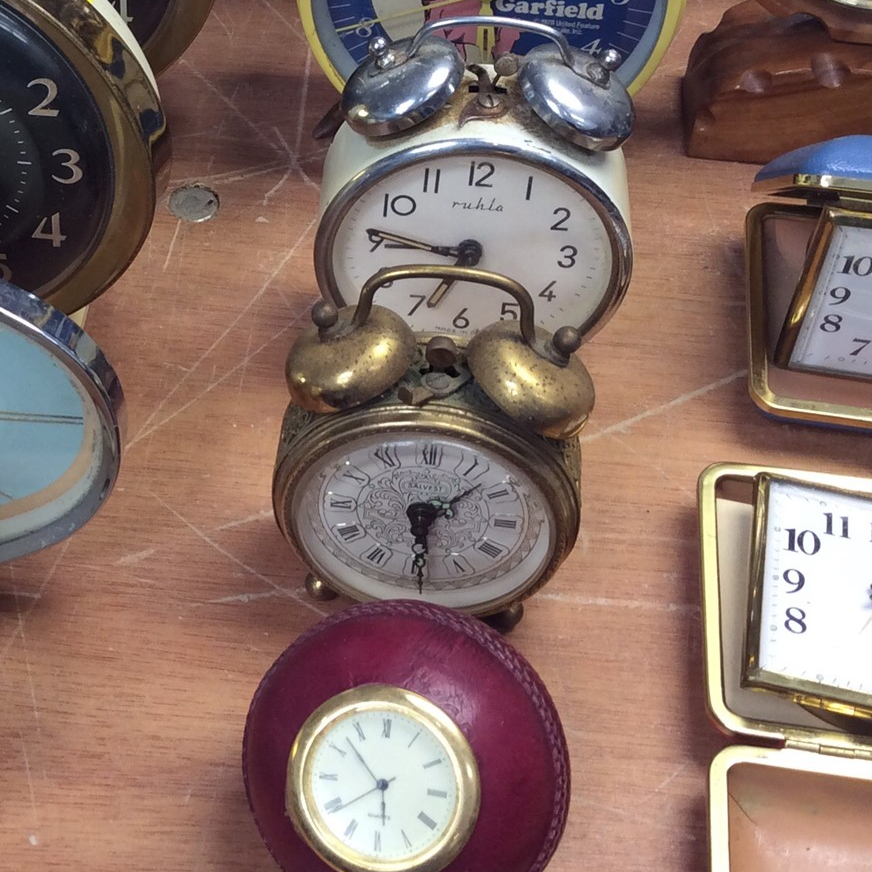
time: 1:29
